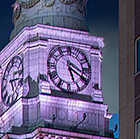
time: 5:19
